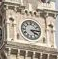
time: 4:14
